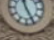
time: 11:25
